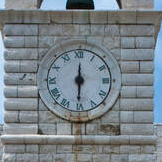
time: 6:00
